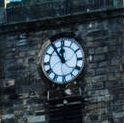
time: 11:54
